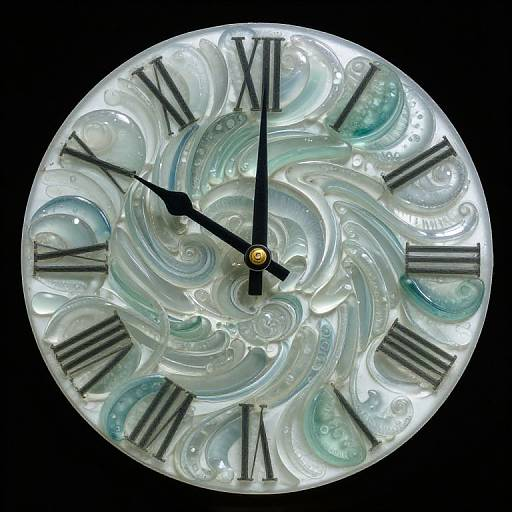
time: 10:00
